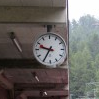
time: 9:35
